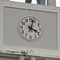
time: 4:02
